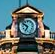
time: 6:50
